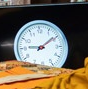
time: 9:09
